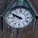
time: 9:50
